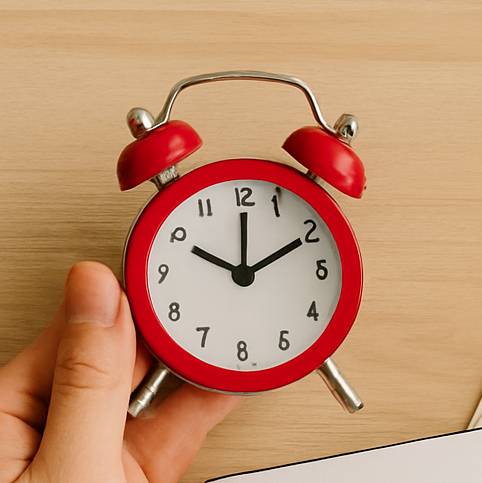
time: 12:10
